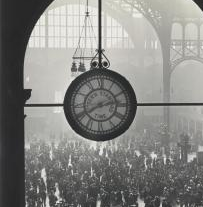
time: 2:40
